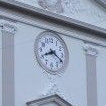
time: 8:19
